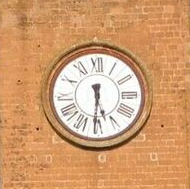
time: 5:30
